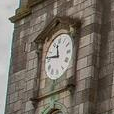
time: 11:46
